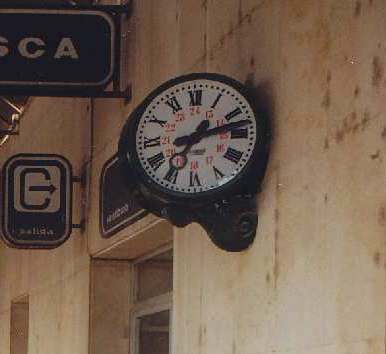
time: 7:12
